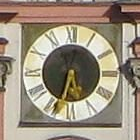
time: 5:33
